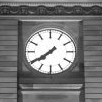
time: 7:39
